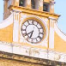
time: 6:39
